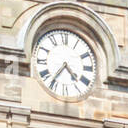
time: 4:36
